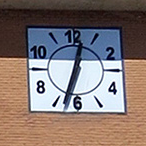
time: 12:33
